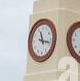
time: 11:17
